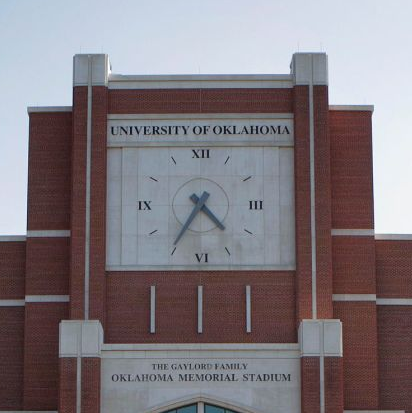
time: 4:35
